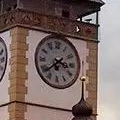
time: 3:38
